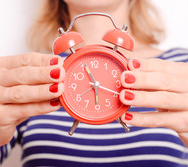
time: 11:19
